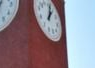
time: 1:02
